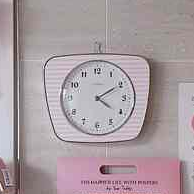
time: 4:10
